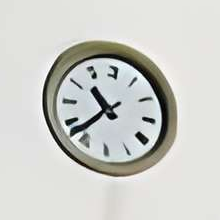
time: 10:37
